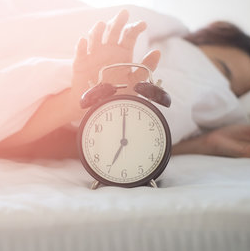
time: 7:00
